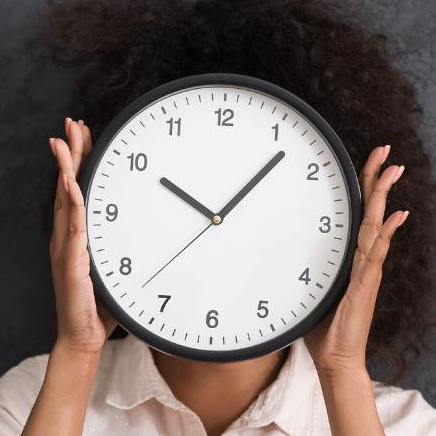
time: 10:07
